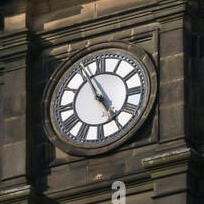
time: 4:55
